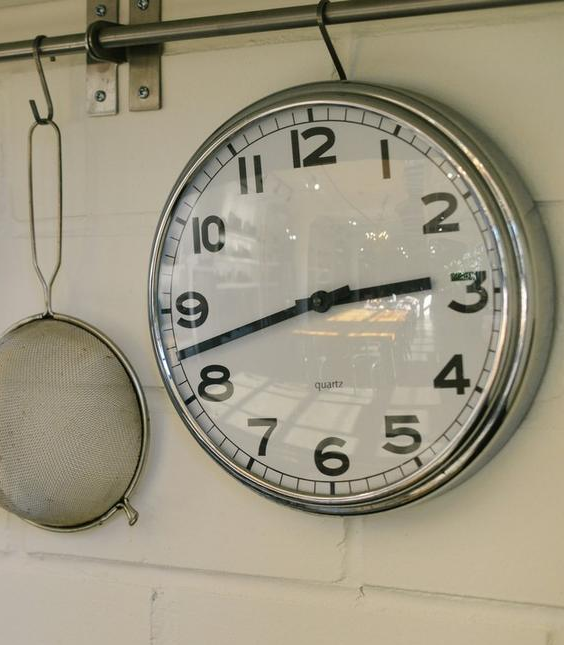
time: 2:42
